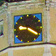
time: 9:20
